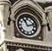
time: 11:12
